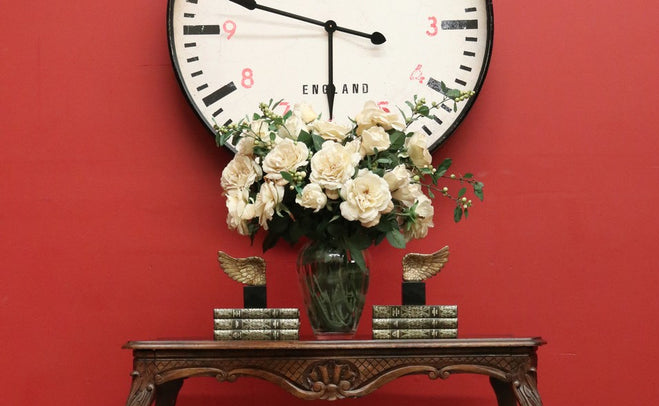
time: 5:48
